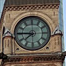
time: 7:45
